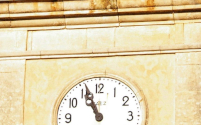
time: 10:56
